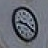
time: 9:20
